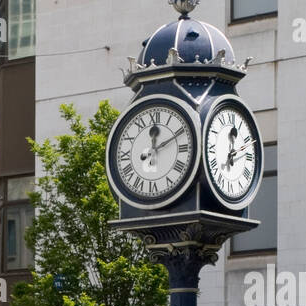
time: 12:10
